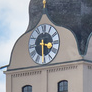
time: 3:29
